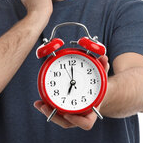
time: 7:00
